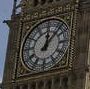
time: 12:07
